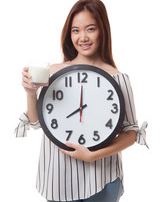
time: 7:59
